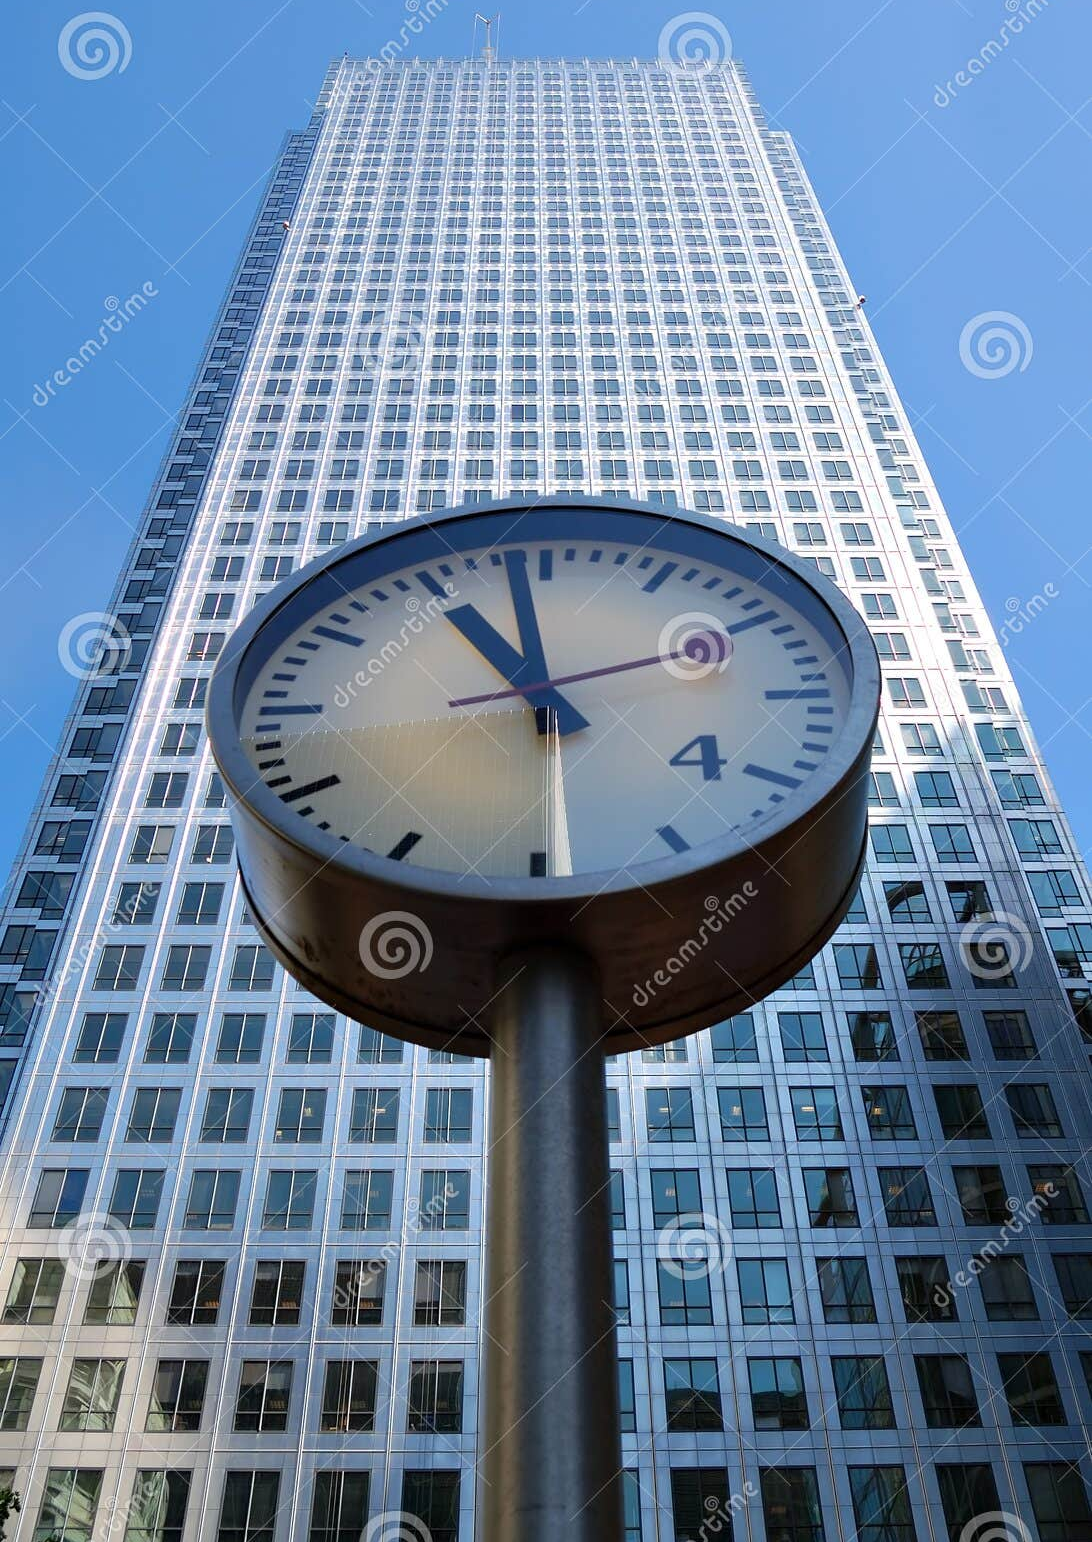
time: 10:58
